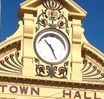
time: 10:26
